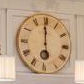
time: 11:59
